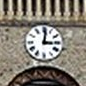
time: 3:01
